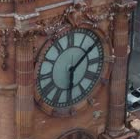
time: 6:08
